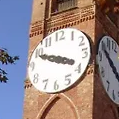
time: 3:48
